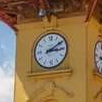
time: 3:09
